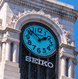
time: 1:51
